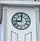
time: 9:00
